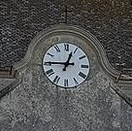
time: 12:45
